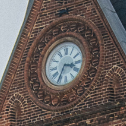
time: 3:35
